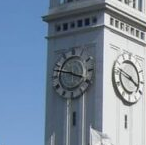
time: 3:47
